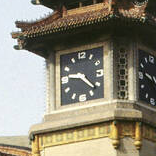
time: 9:22
